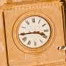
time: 3:44
